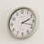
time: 2:18
